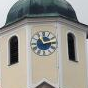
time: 11:13
